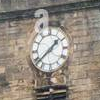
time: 1:38
